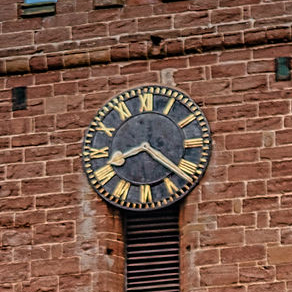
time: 8:21
